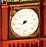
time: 7:45
